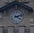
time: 4:12
